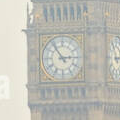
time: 2:54
